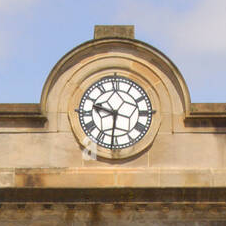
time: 9:30
